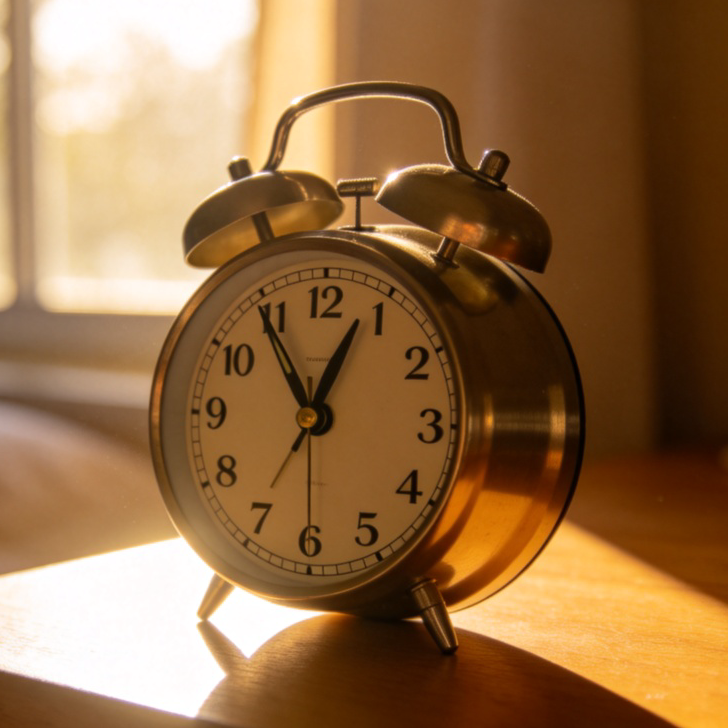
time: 12:54
